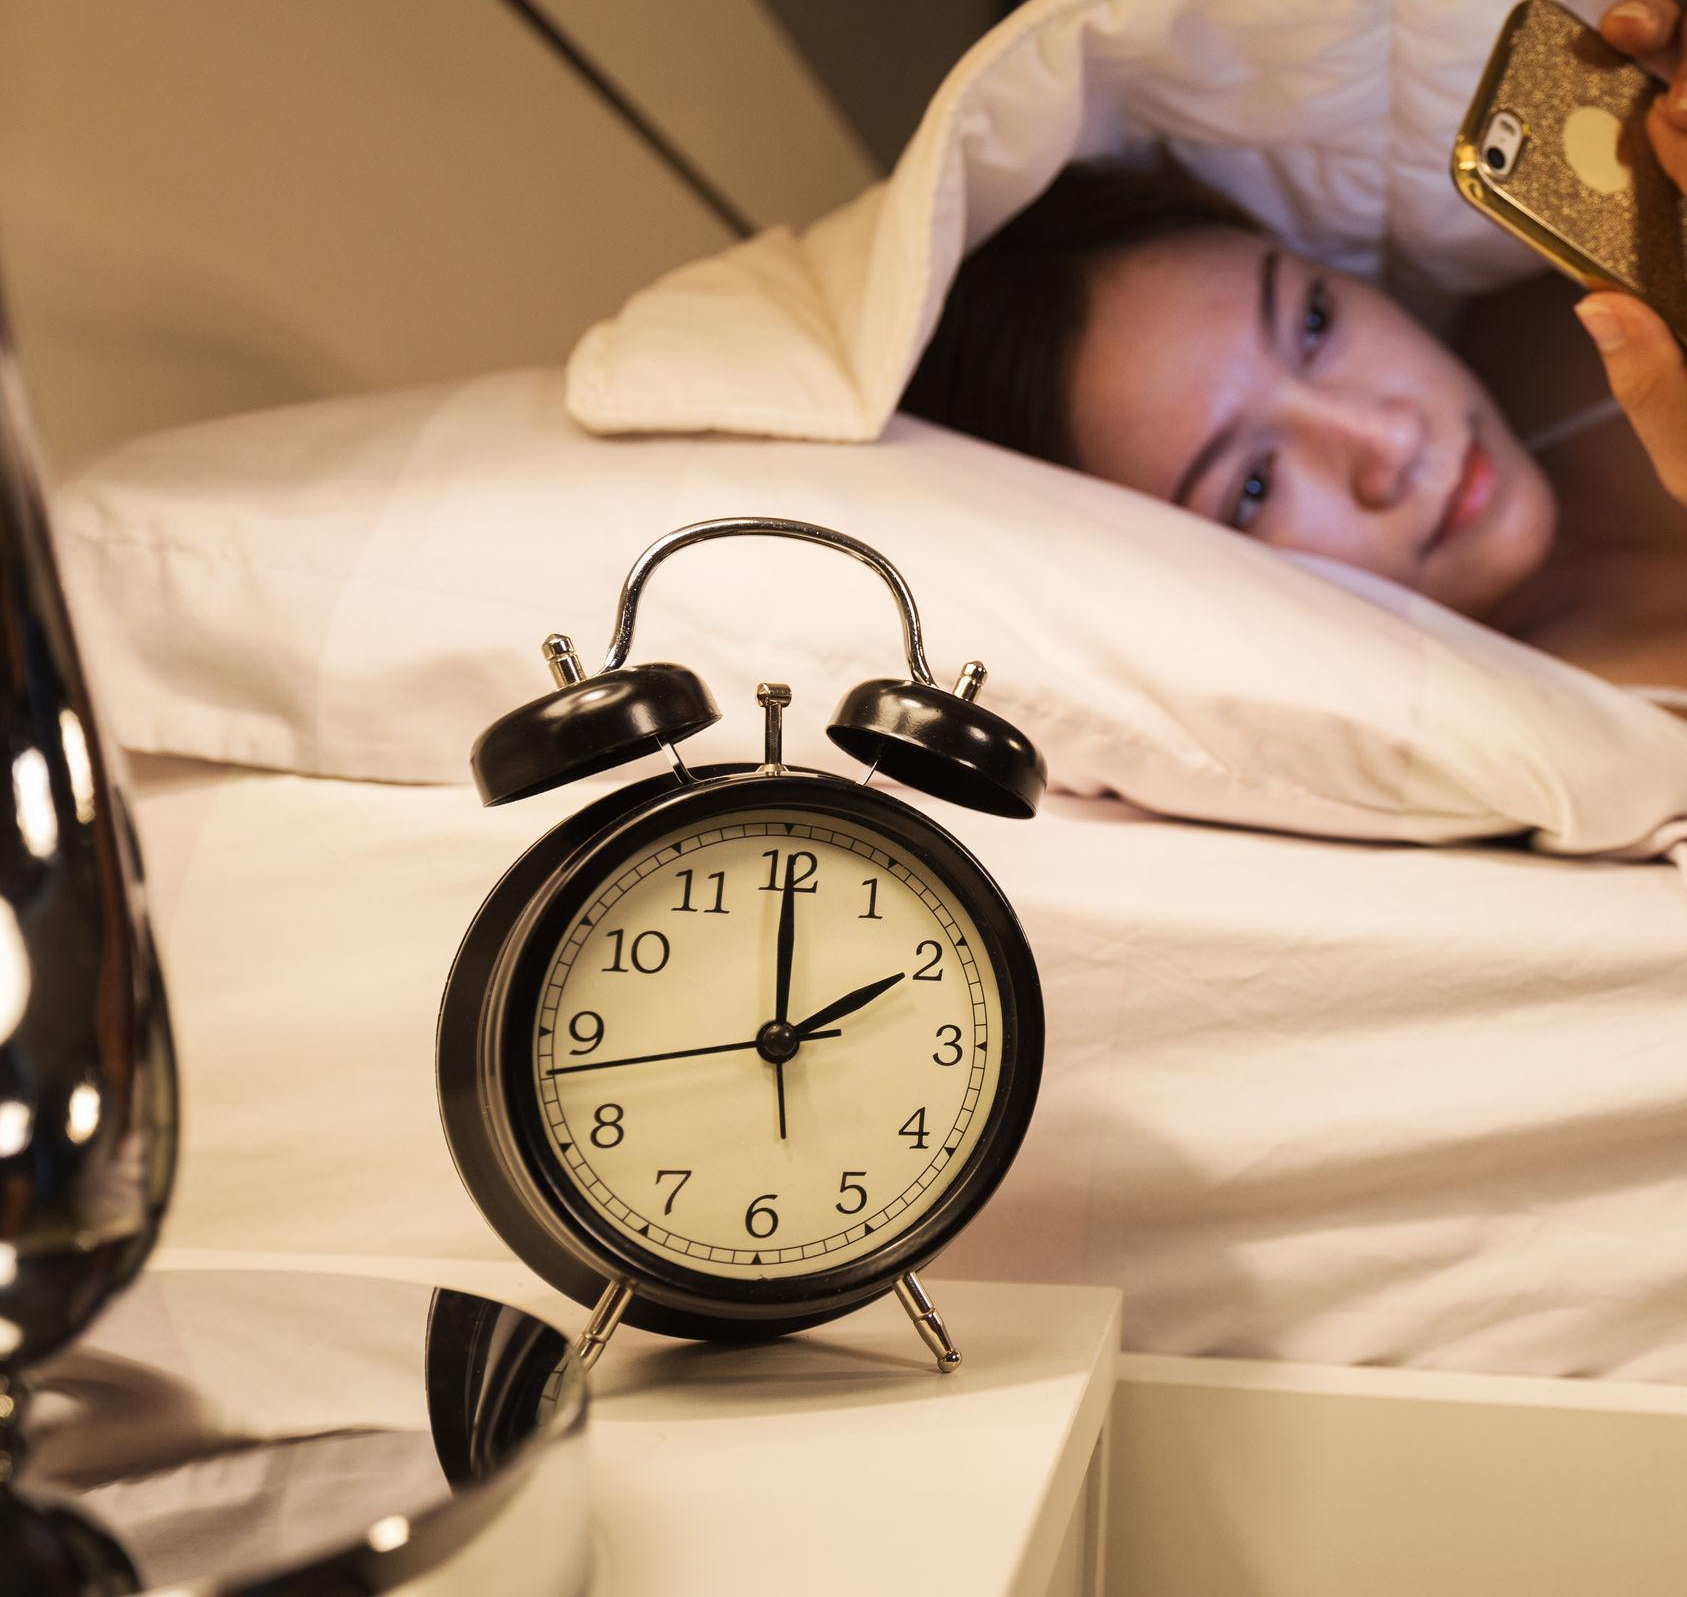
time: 2:00
